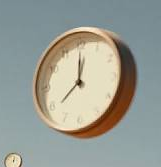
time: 11:59
